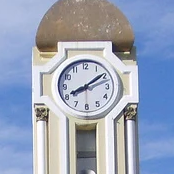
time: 8:09
